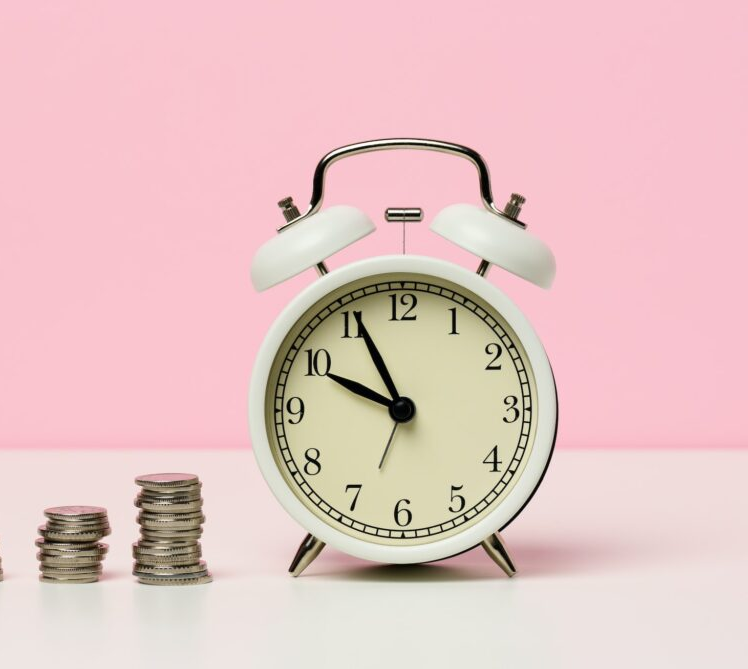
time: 9:55
